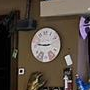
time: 2:46
